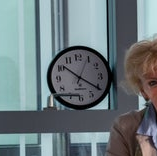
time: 10:20
